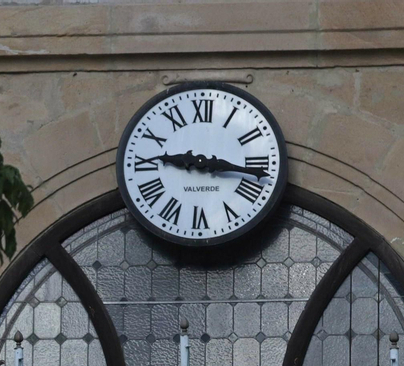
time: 9:16
